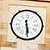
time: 5:29
